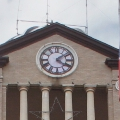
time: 4:08
